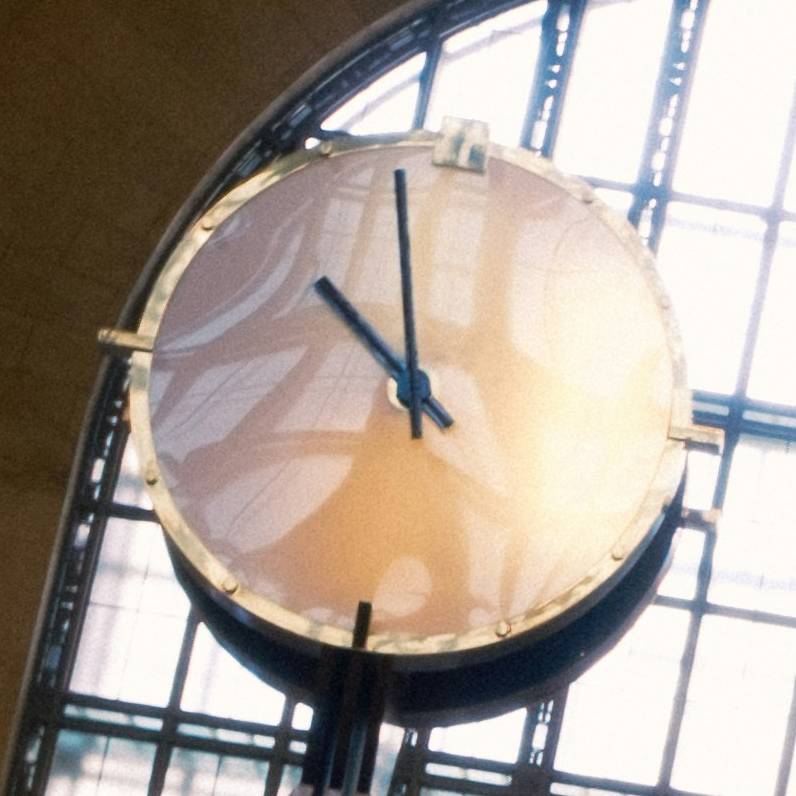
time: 9:57
